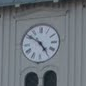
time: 4:50
